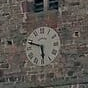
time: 5:48
